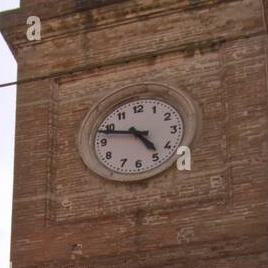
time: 4:48
